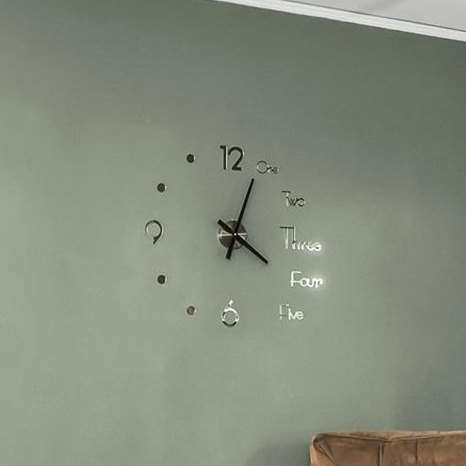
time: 4:03
